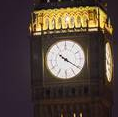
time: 10:20
